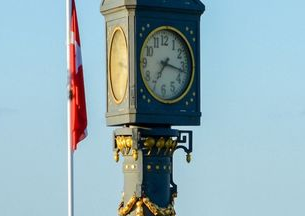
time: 7:16
